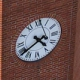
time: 4:39
